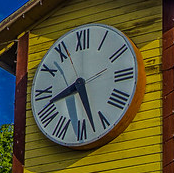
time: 8:27
